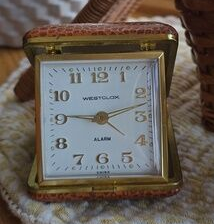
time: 9:12
